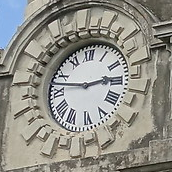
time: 2:47
